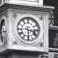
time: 3:29
